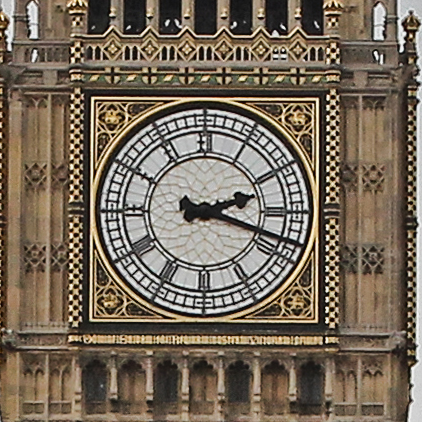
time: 2:18
